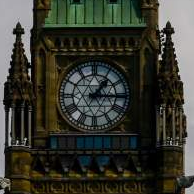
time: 1:15
